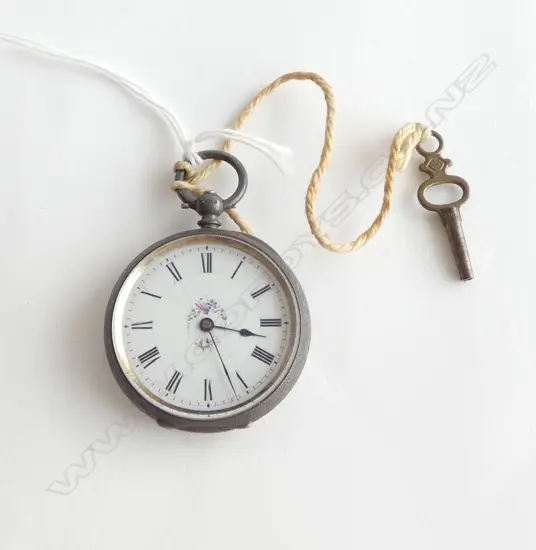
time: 3:26
